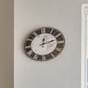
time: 12:11
